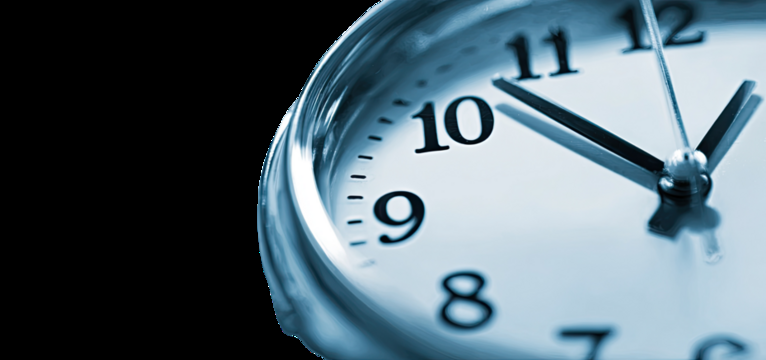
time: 12:52
